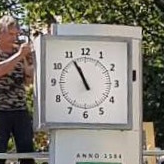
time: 10:55
